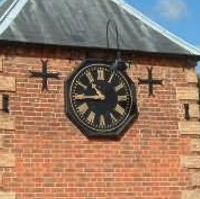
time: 10:44
